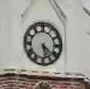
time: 5:21
